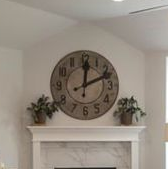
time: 12:11
